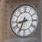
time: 8:34
